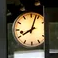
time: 8:03
